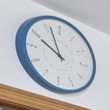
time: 9:56
